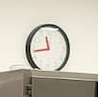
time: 11:43
